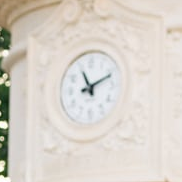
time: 11:11
